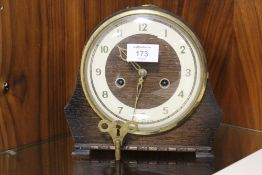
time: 9:32
